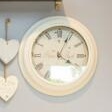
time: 4:04
